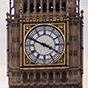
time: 3:48
